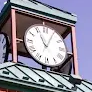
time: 11:04
